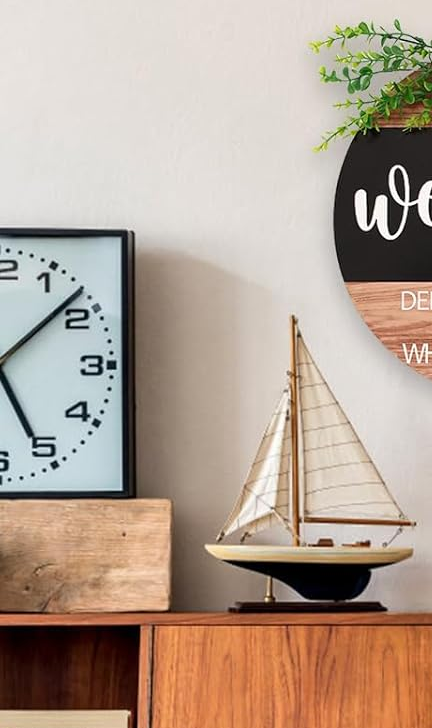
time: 5:08
